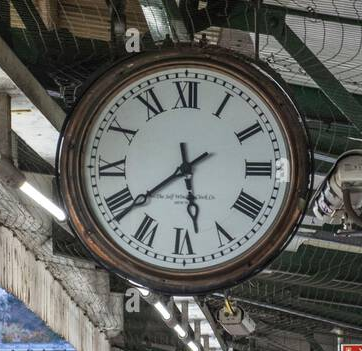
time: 5:38
